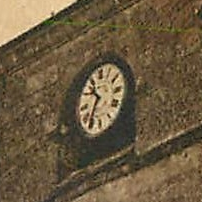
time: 10:34
